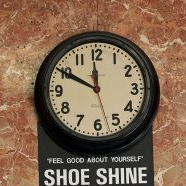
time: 11:49
